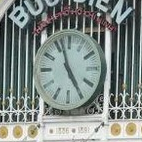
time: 4:57
